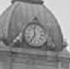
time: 6:58
